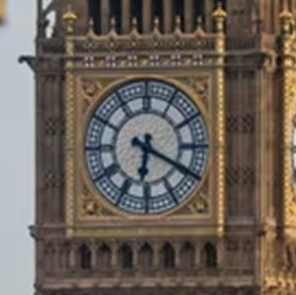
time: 6:19
